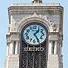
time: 1:24
